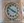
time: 3:50
